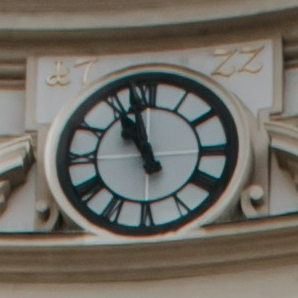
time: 10:57
